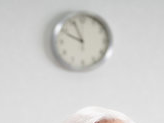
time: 9:56
